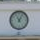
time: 11:04
